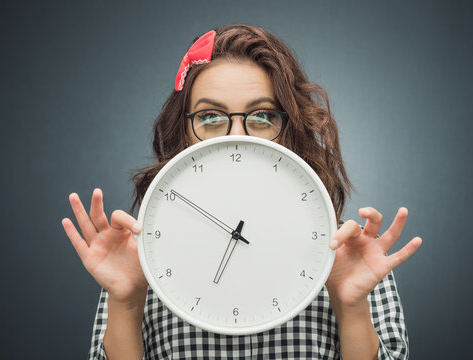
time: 6:50
